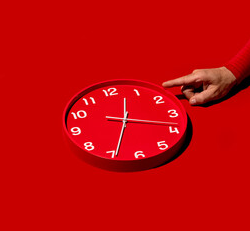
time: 12:34
